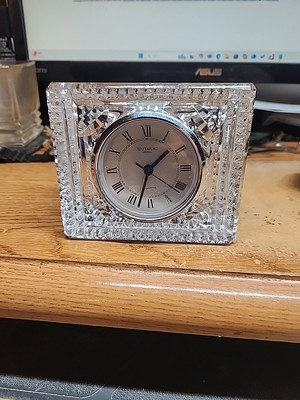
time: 1:32
